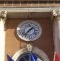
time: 1:36
